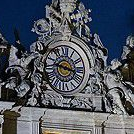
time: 9:17
